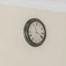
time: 11:19
